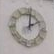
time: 2:01
